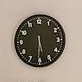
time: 5:30
